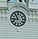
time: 8:54
